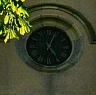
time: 5:03
